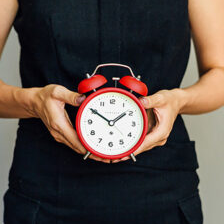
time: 1:50
